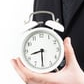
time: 8:30
